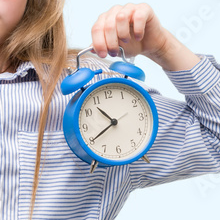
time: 10:40
